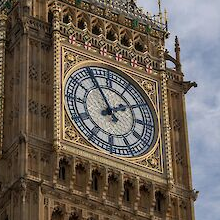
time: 1:54
